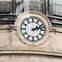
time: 2:12
